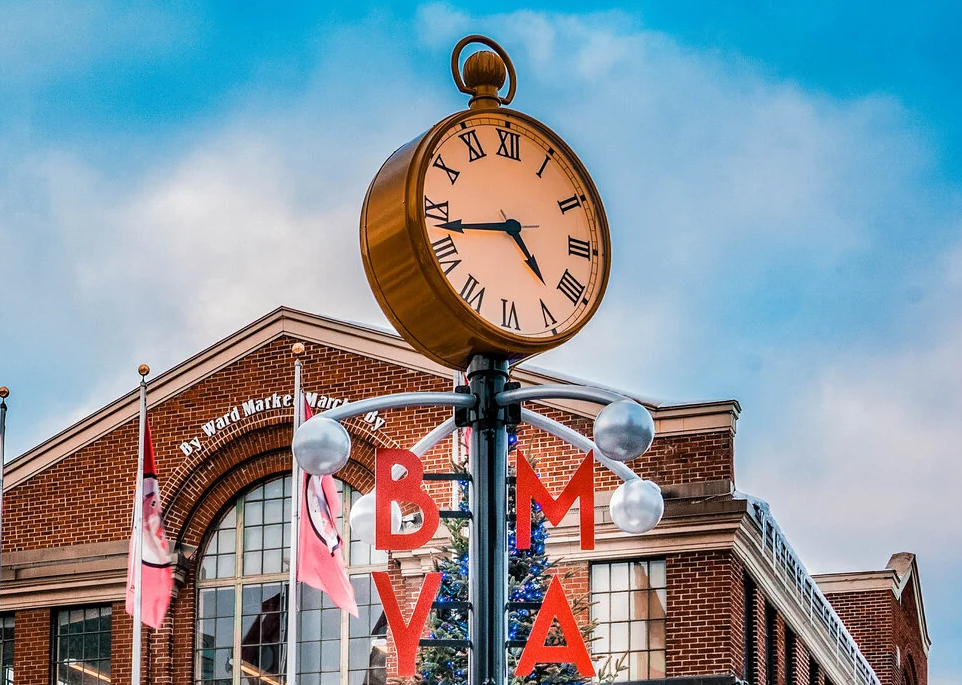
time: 4:42
